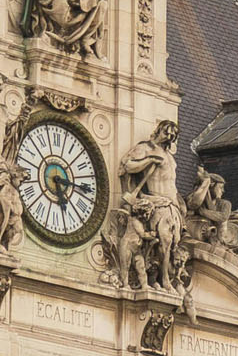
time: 5:15
